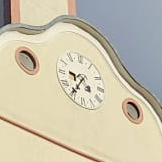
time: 9:35
